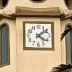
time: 4:08
